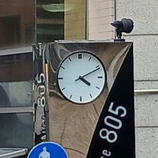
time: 4:11
